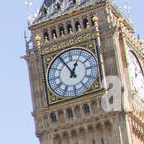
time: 12:55
